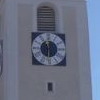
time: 11:30
